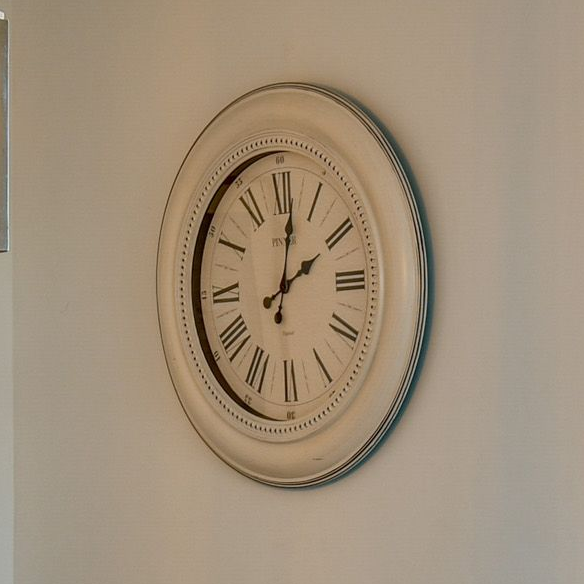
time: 2:01
